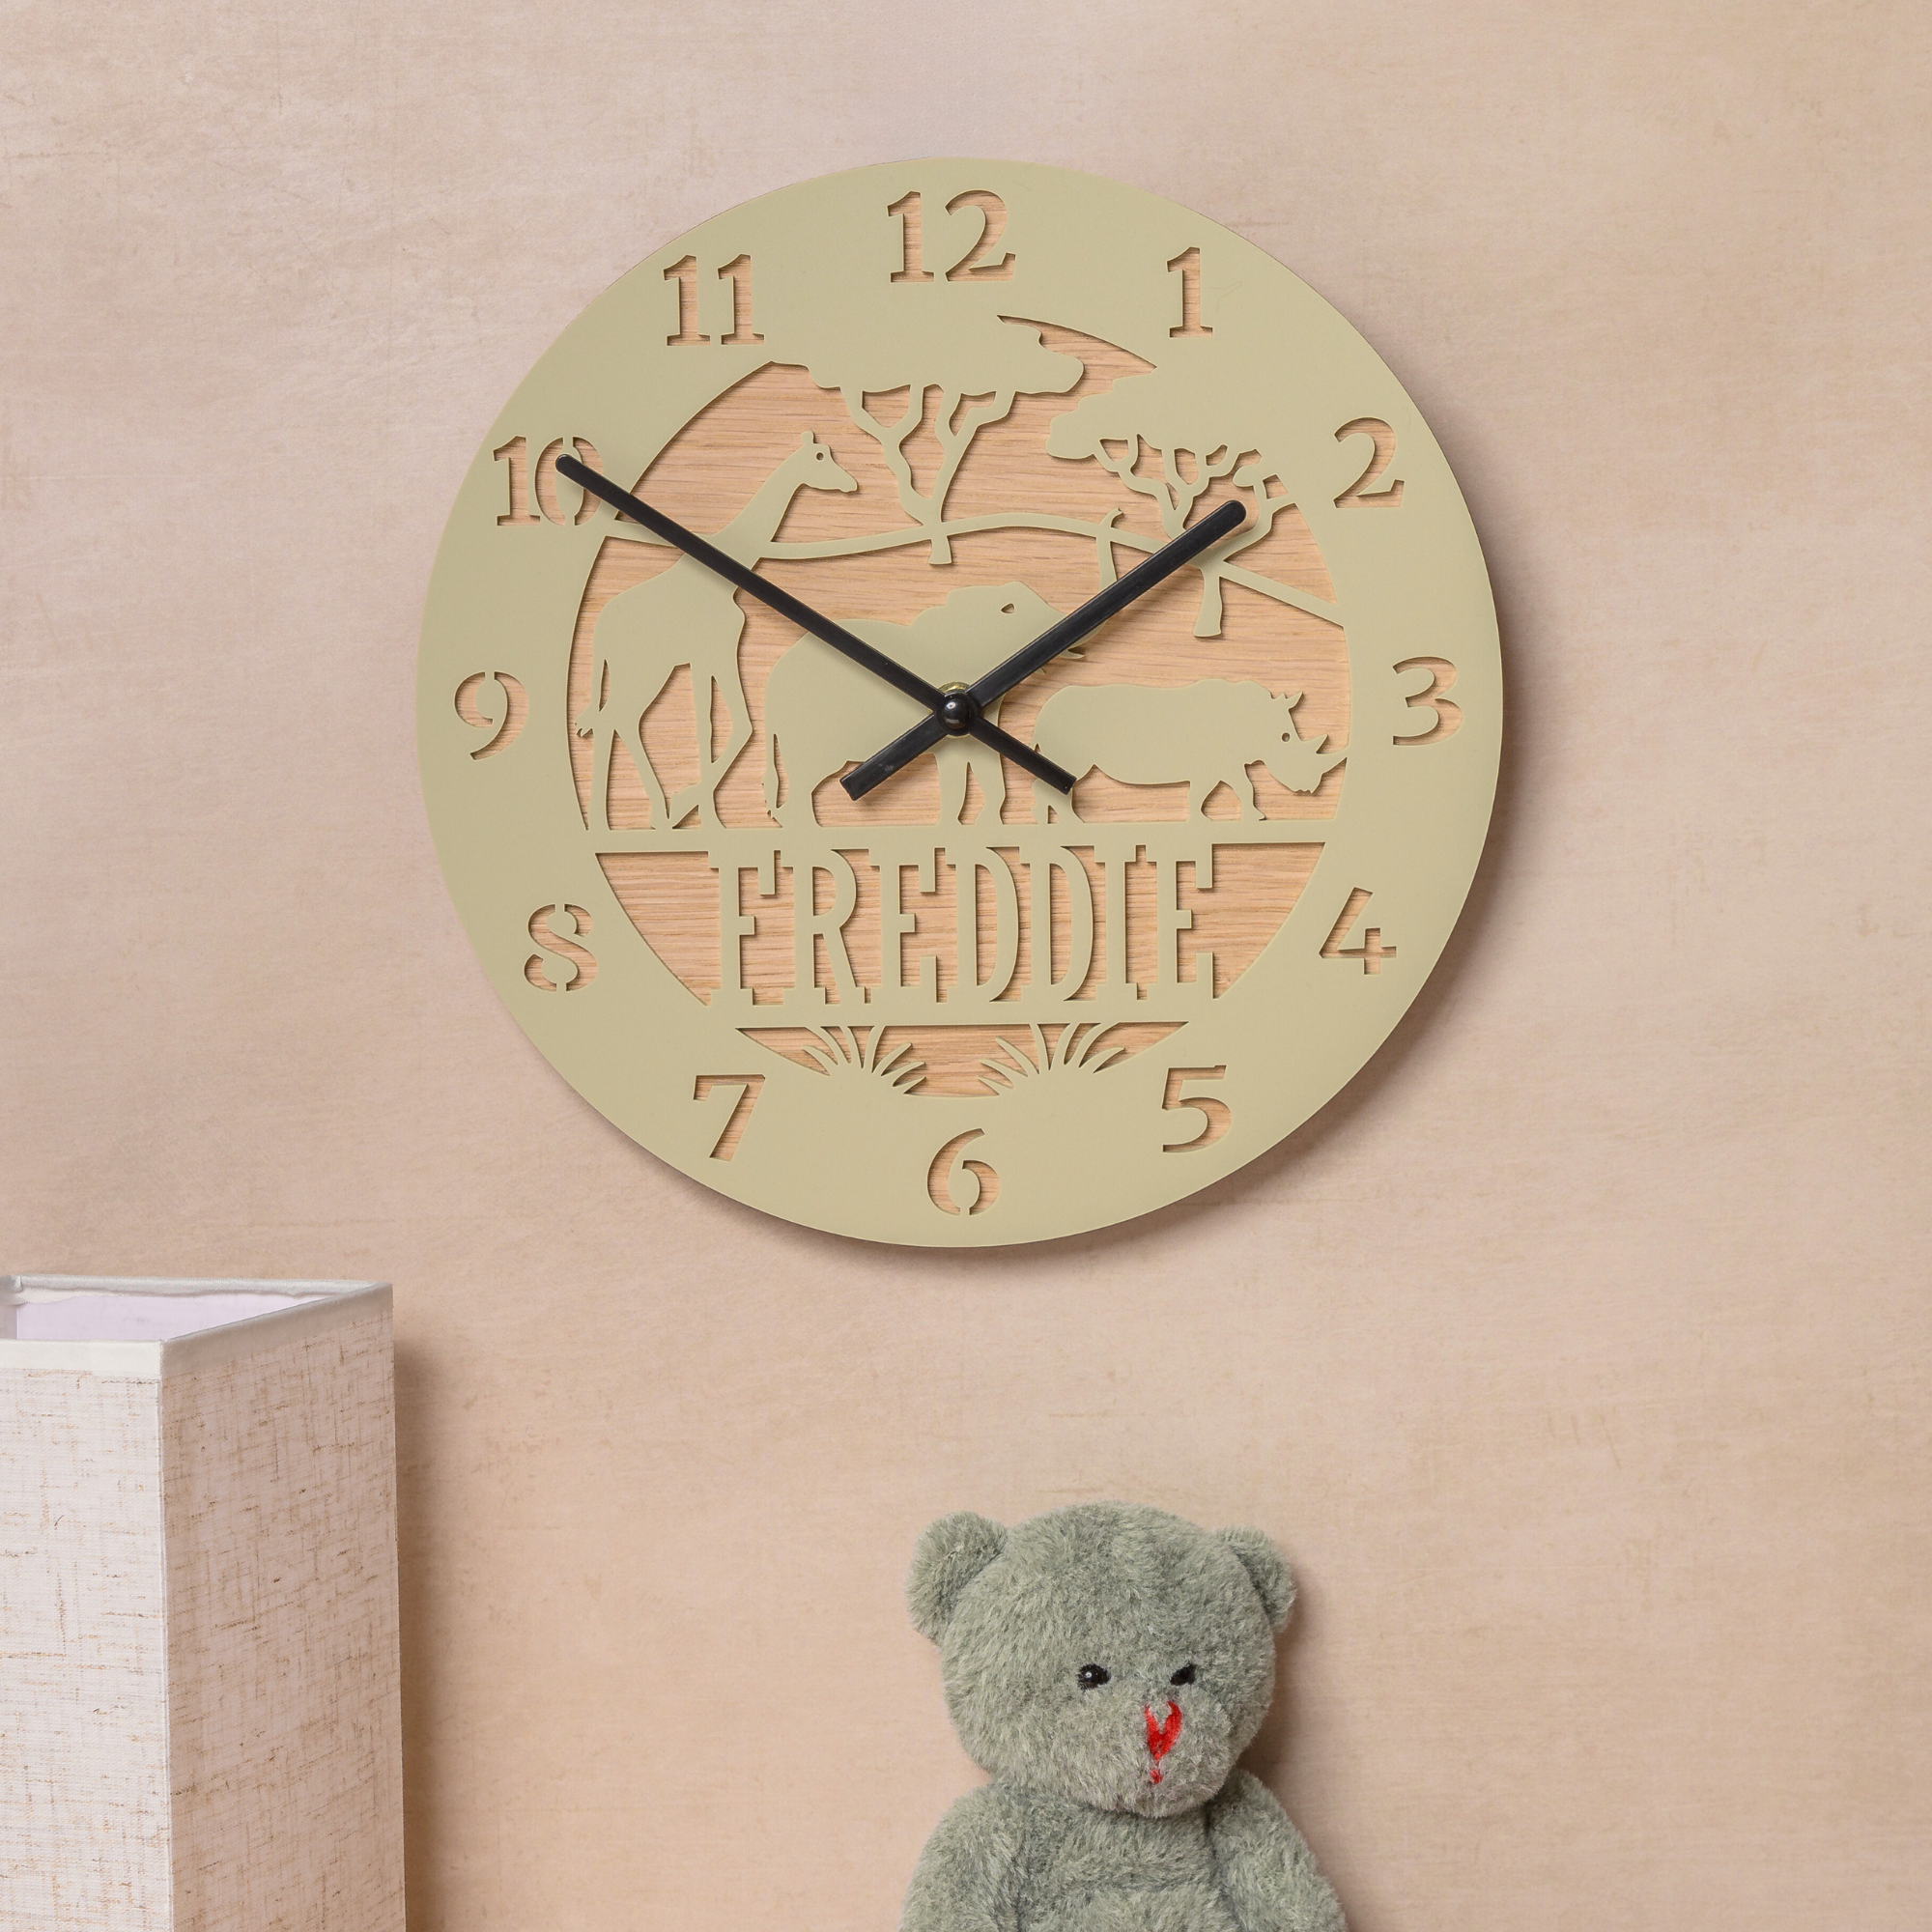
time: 1:50
